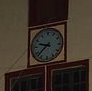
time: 9:37
